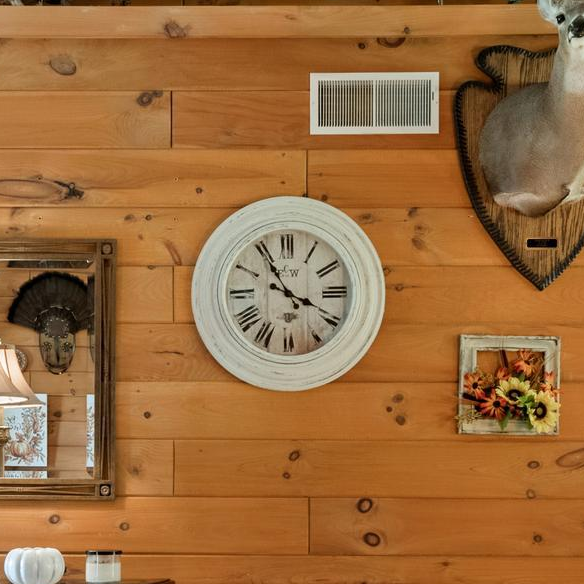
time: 3:55
